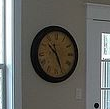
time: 10:26
